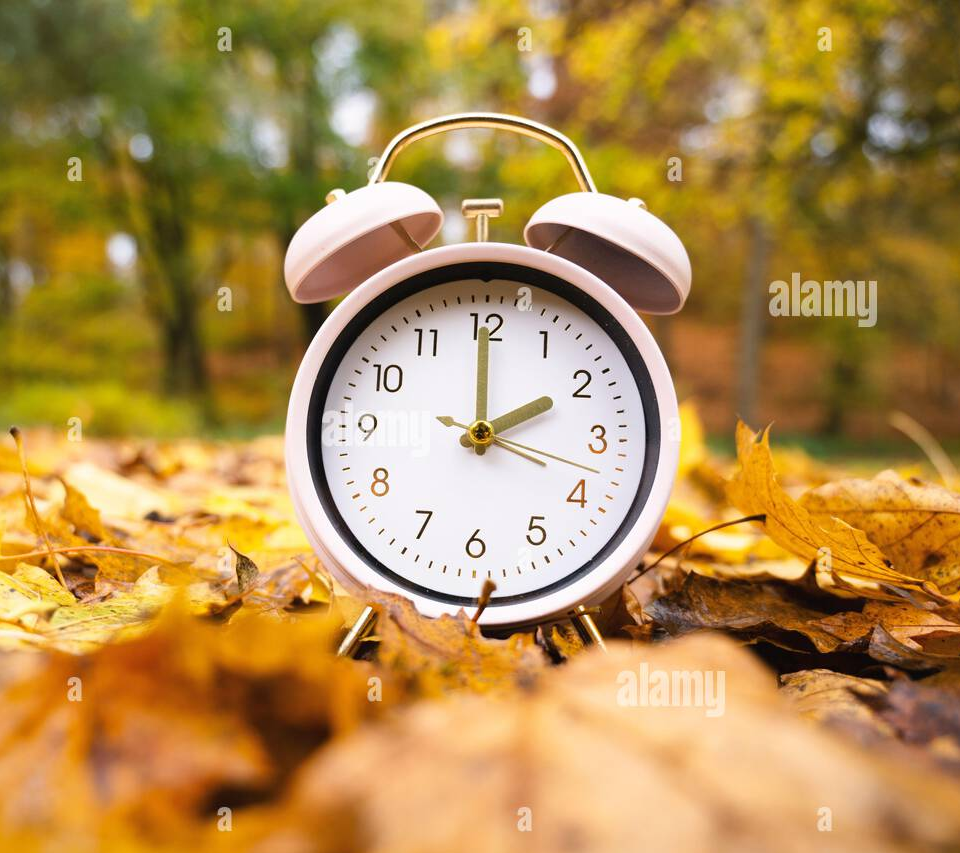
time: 2:00
